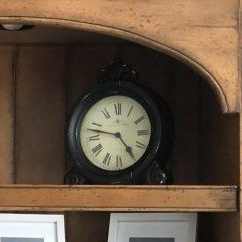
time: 4:47
